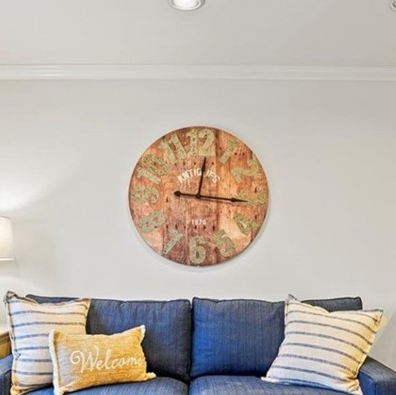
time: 12:16
